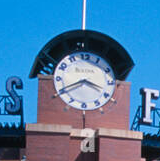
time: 3:40
